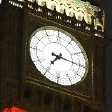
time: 7:15
